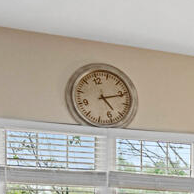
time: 5:15
